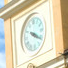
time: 4:20
